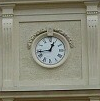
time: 12:43
